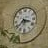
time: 3:38
